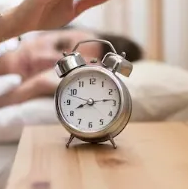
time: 8:13
